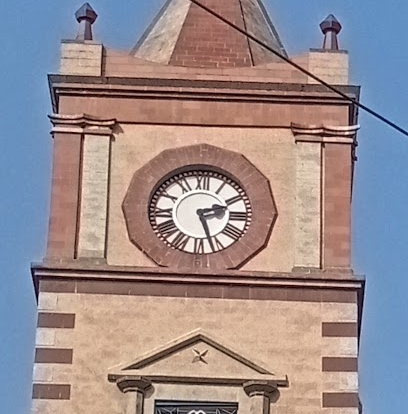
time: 2:26
